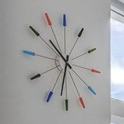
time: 10:32
